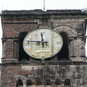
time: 11:46
